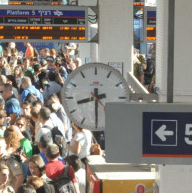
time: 8:30
